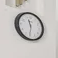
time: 11:31
